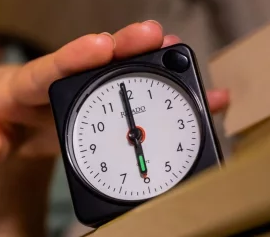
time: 5:59
